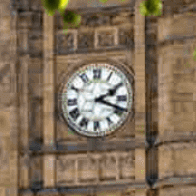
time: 2:18
